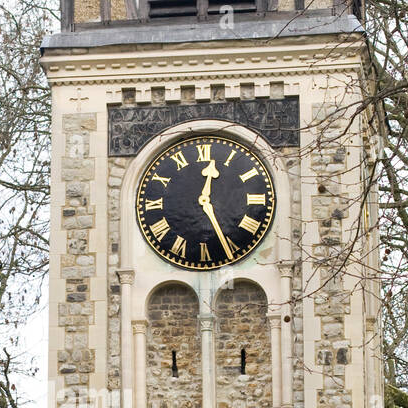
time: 12:26
